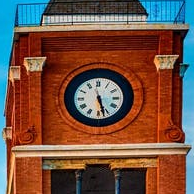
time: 5:27
